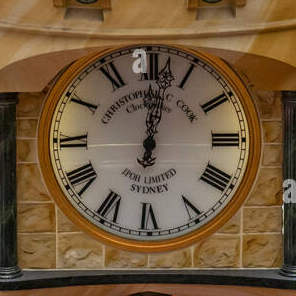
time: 12:01
